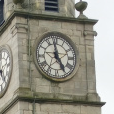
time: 4:58
